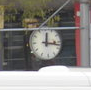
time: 12:16
